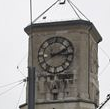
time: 2:15
